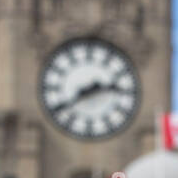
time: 2:39
